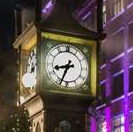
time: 8:34
